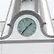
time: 1:36
